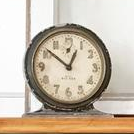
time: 12:51
